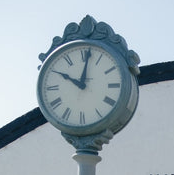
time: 10:01
